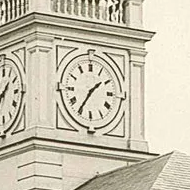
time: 1:35
